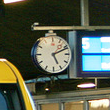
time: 5:11
